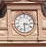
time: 3:29
